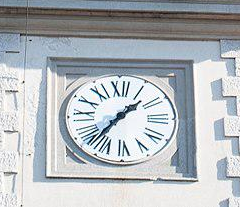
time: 1:36
